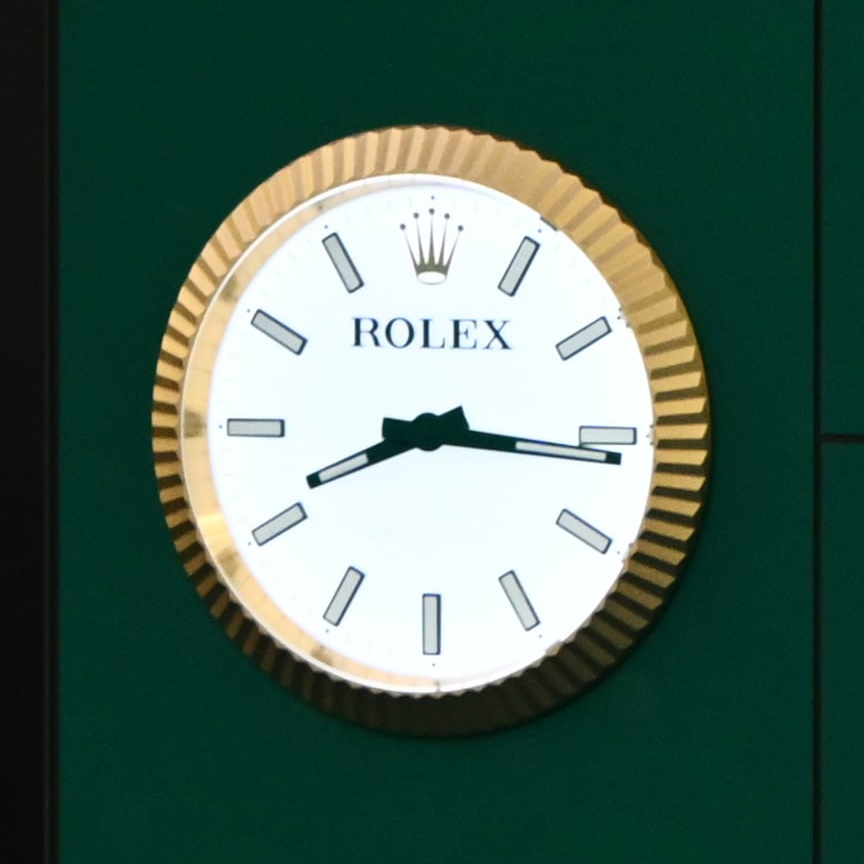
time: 8:15
